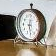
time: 12:28
